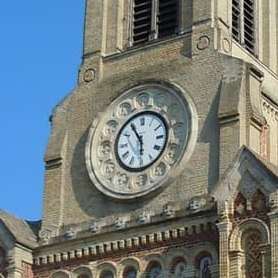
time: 5:54
